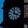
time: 4:00
